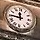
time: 11:45
